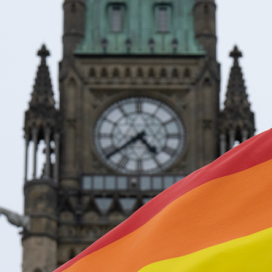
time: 4:38
